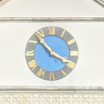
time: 3:53
